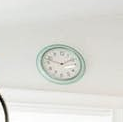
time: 1:47
